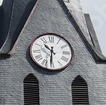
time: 10:31
